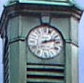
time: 2:12
